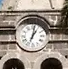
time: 1:02
